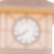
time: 7:40
